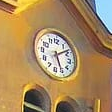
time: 5:08
